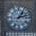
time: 1:12
